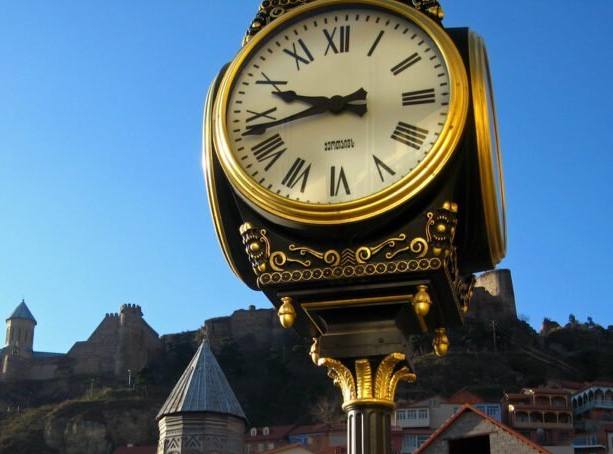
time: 9:42
